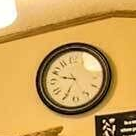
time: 9:34
